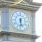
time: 5:31
